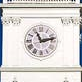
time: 11:12
